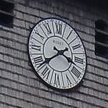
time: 3:38
